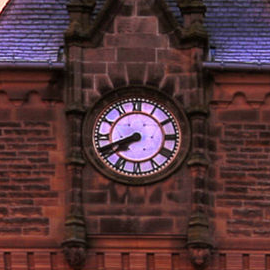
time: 7:41
